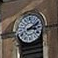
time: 3:09
